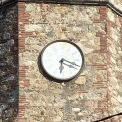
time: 6:18
